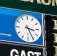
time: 3:25
